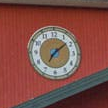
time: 7:08
